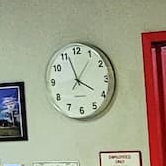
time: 3:56
